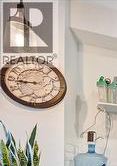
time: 8:45
